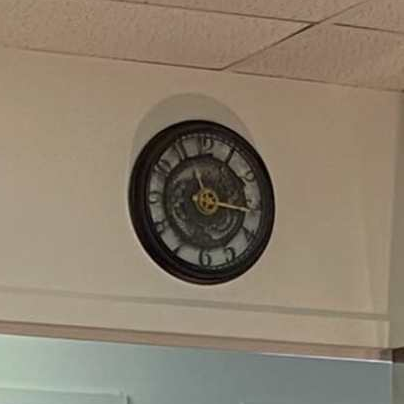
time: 11:16
